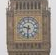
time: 9:31
